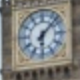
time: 6:07
